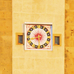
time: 5:40
